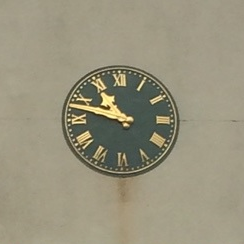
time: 10:47
